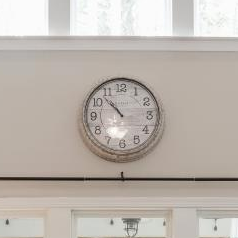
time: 10:53
